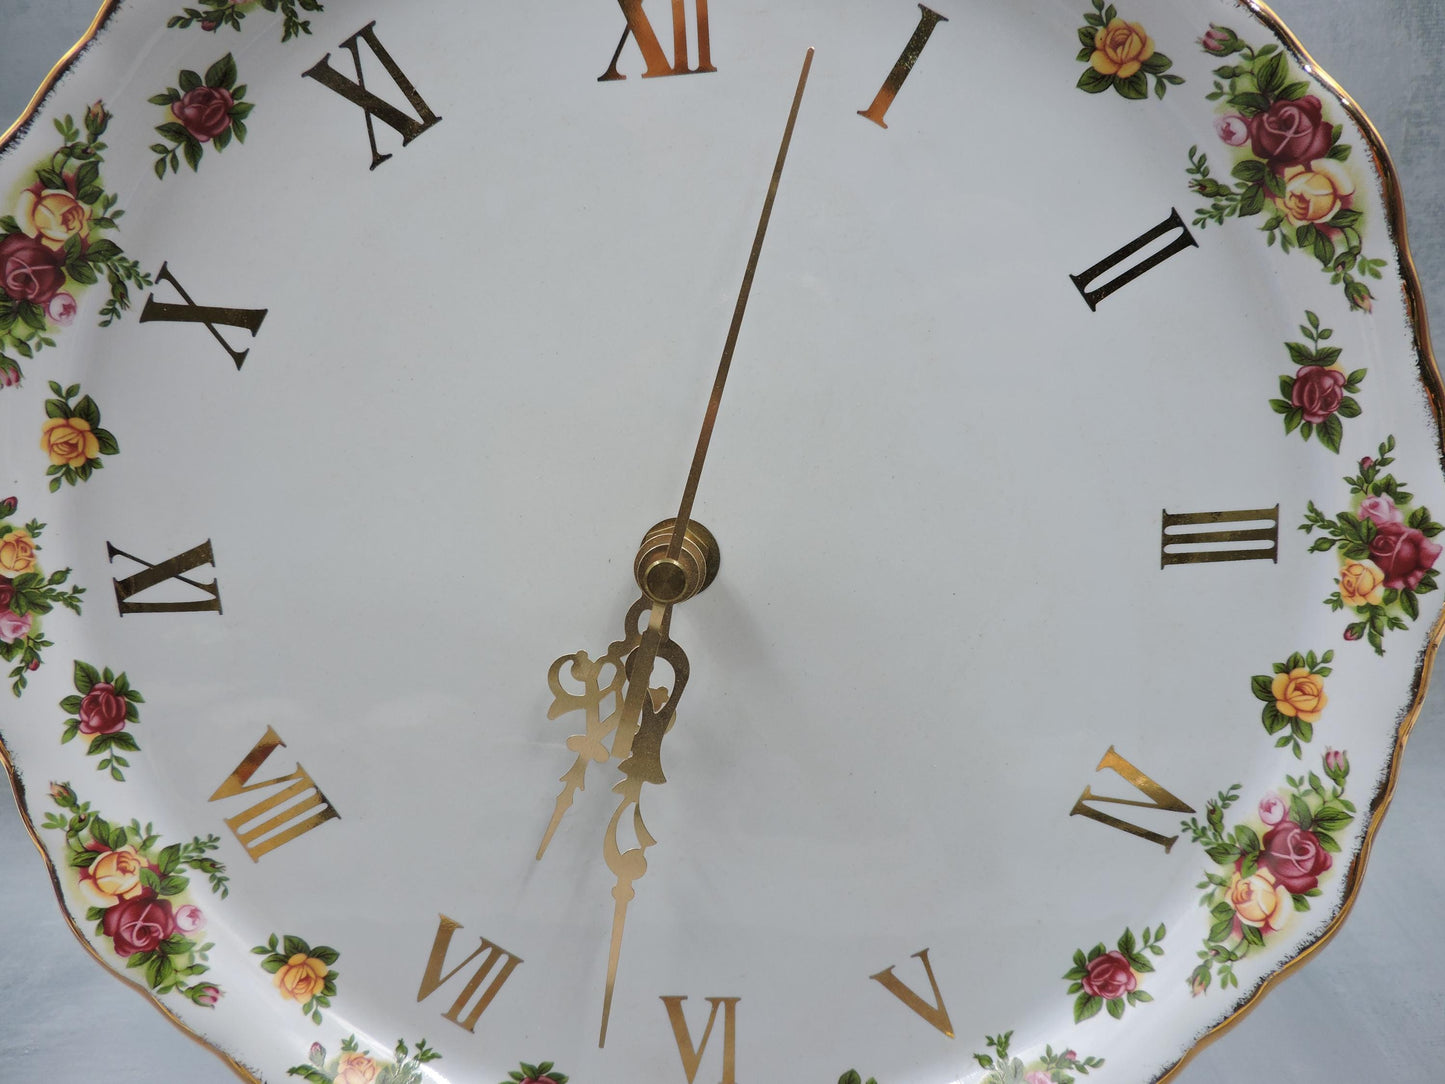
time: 6:03
